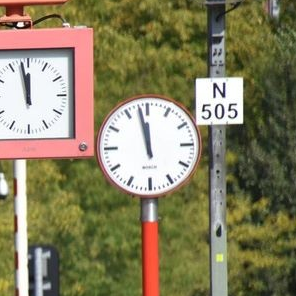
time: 11:58
